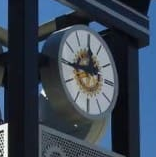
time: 11:44
